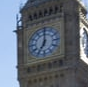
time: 7:00
